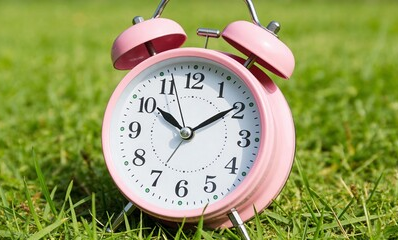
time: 10:09
